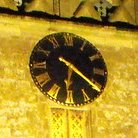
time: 6:20
